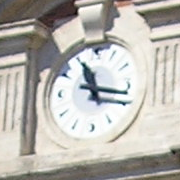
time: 11:17
